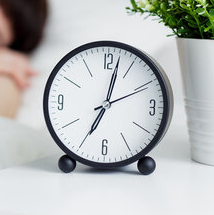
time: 7:02
